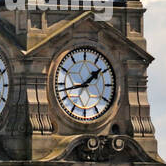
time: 1:42
